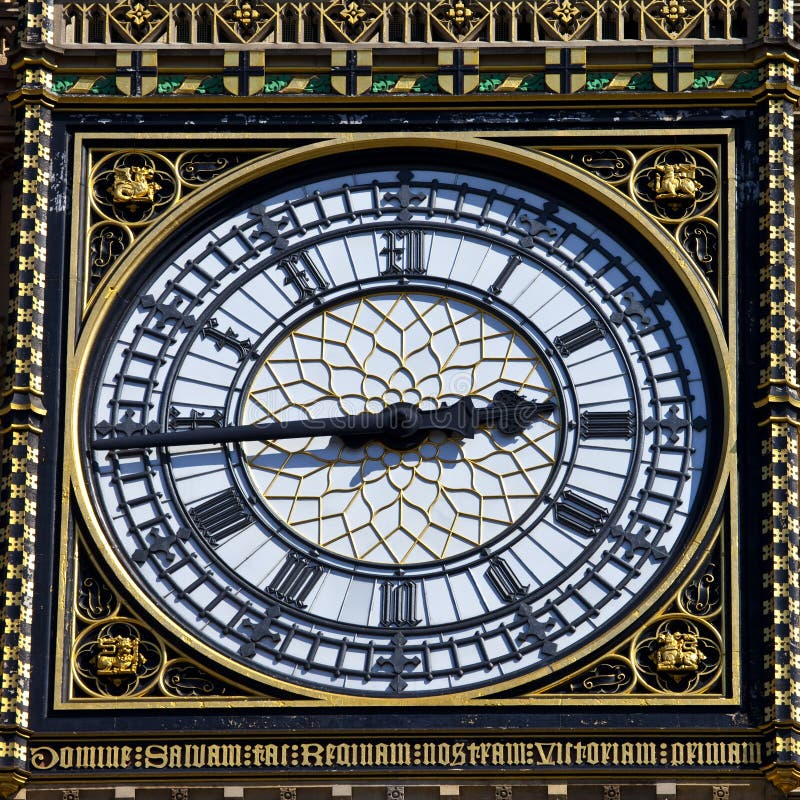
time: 2:43
